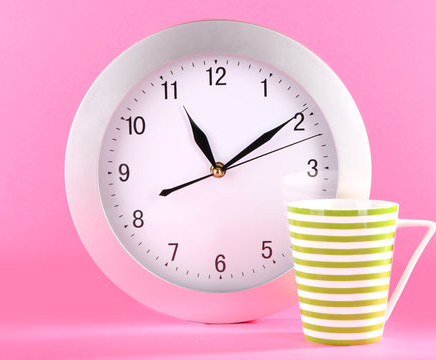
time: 11:09
